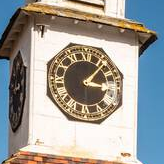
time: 3:06
